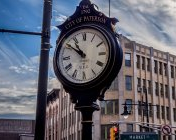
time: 10:50
